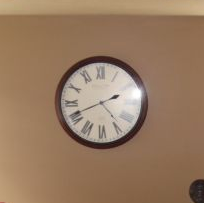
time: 4:41
